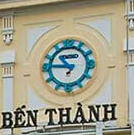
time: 10:45
